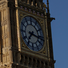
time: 7:16
